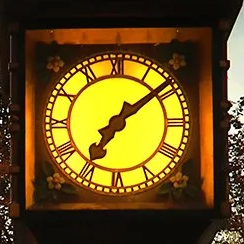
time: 7:08
